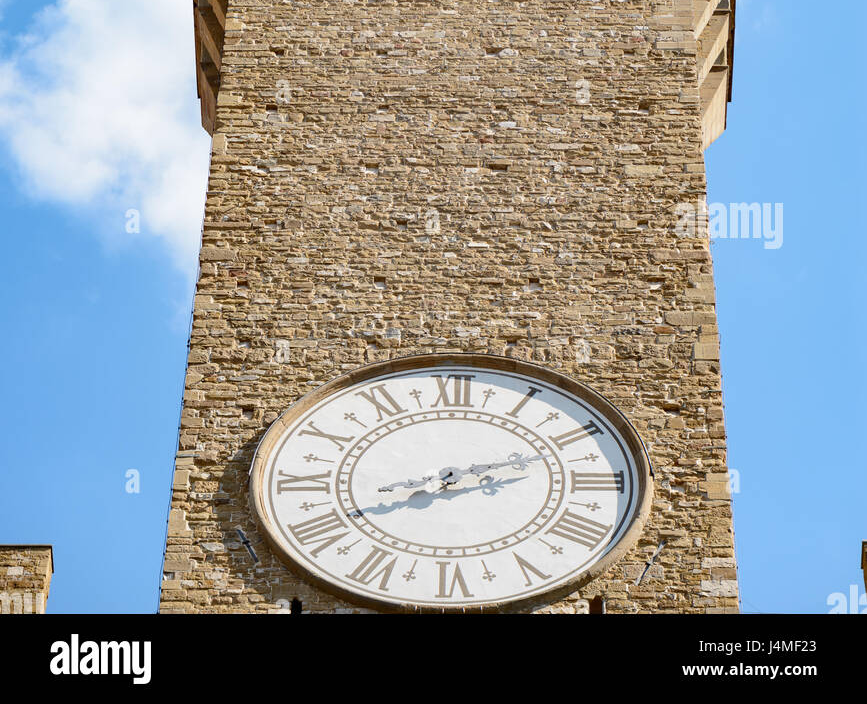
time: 8:11
